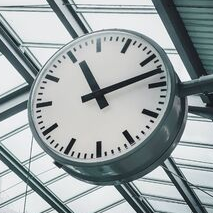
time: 11:12
